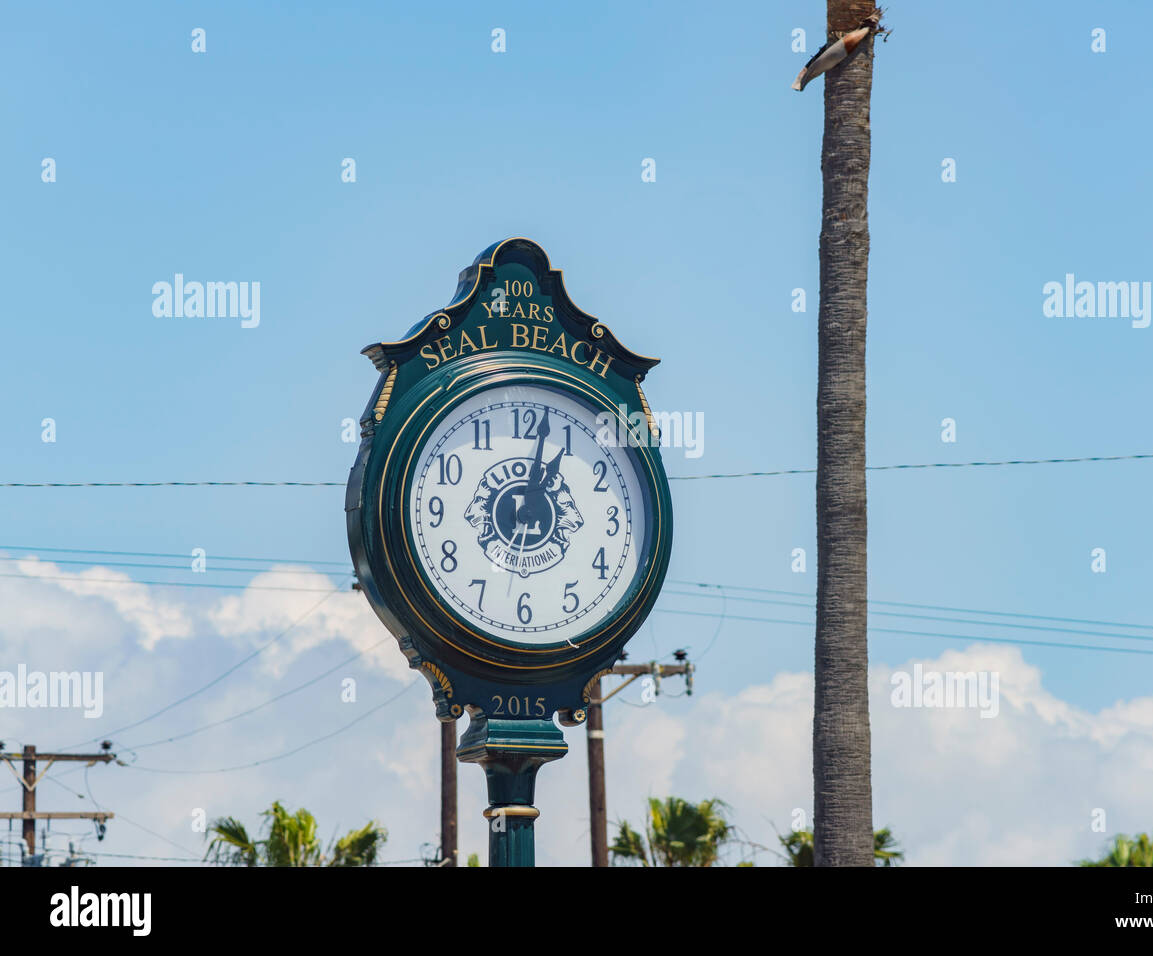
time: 1:02
